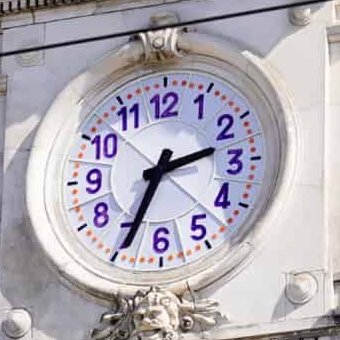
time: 2:34
